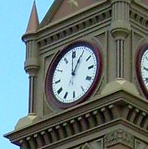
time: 12:59
